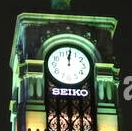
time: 12:01
